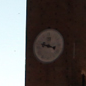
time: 3:47
